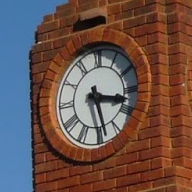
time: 3:28
